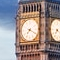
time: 7:19
